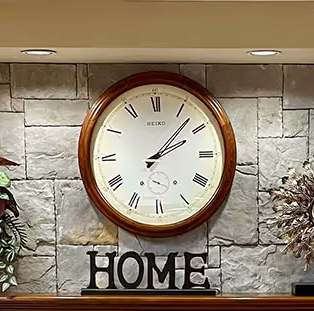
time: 2:07
